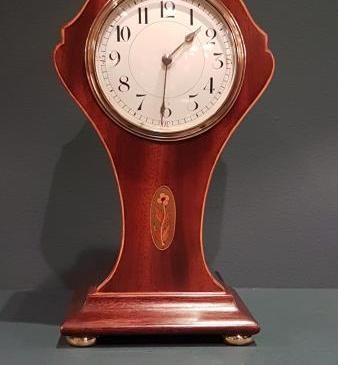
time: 1:30
